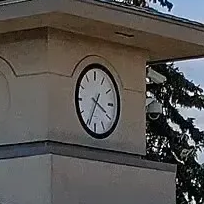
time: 3:34
